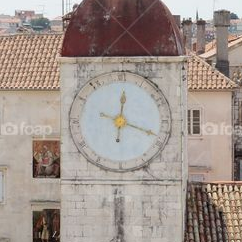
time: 12:18
